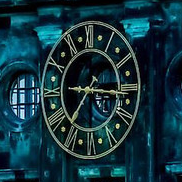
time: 7:15
